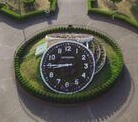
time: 8:45
